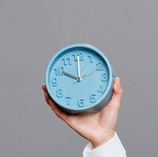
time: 10:00
